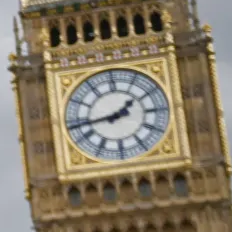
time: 1:43
